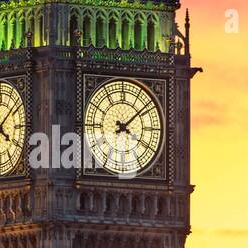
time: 4:08
